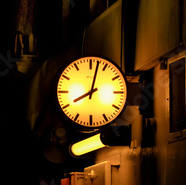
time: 8:02
